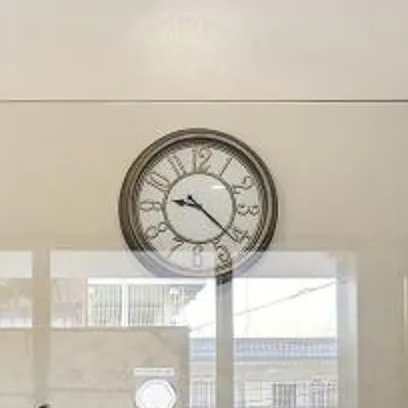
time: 9:21
